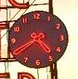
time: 4:40
